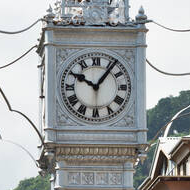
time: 10:06
